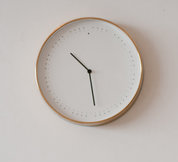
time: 10:28
